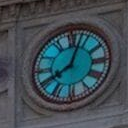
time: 8:03
